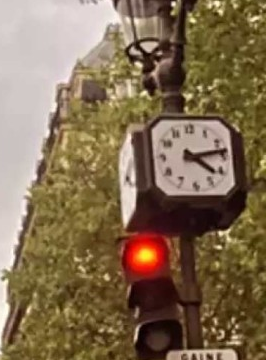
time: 4:13
